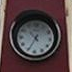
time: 10:34
